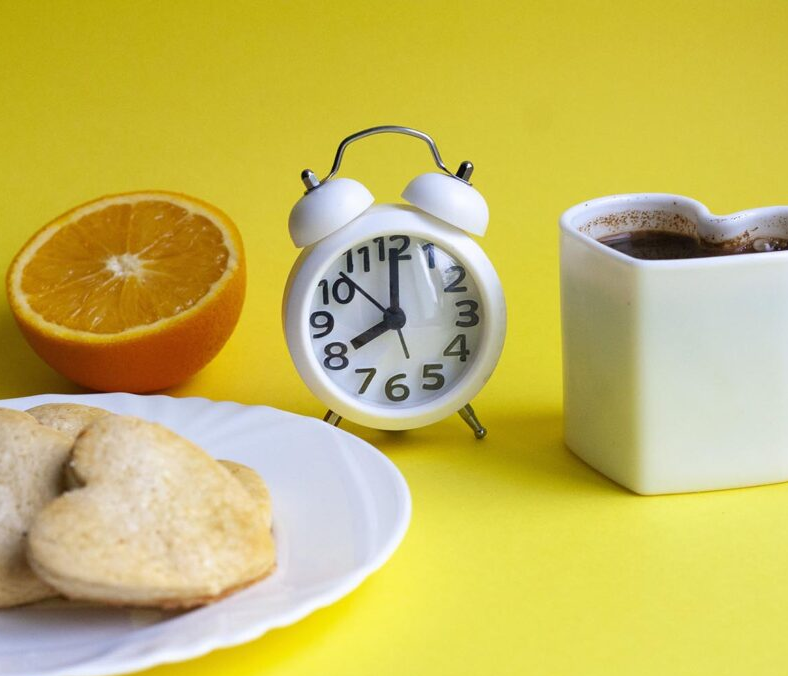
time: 8:00
